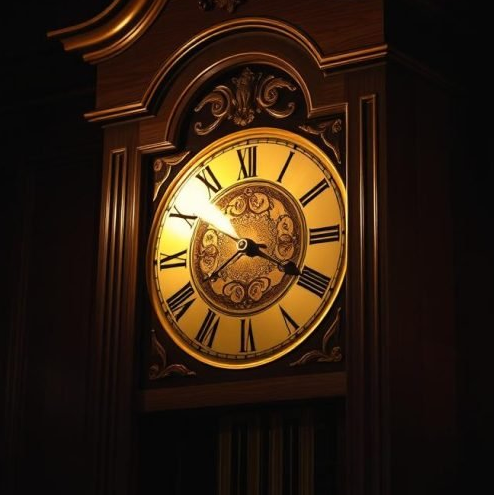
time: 8:19
